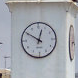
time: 12:50
